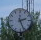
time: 2:26
